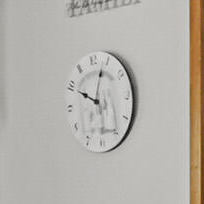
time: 10:03
